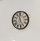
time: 11:25
